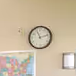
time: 11:12
